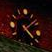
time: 4:08
